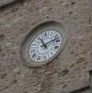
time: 11:12
